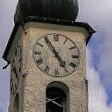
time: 4:54
